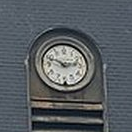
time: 2:48
